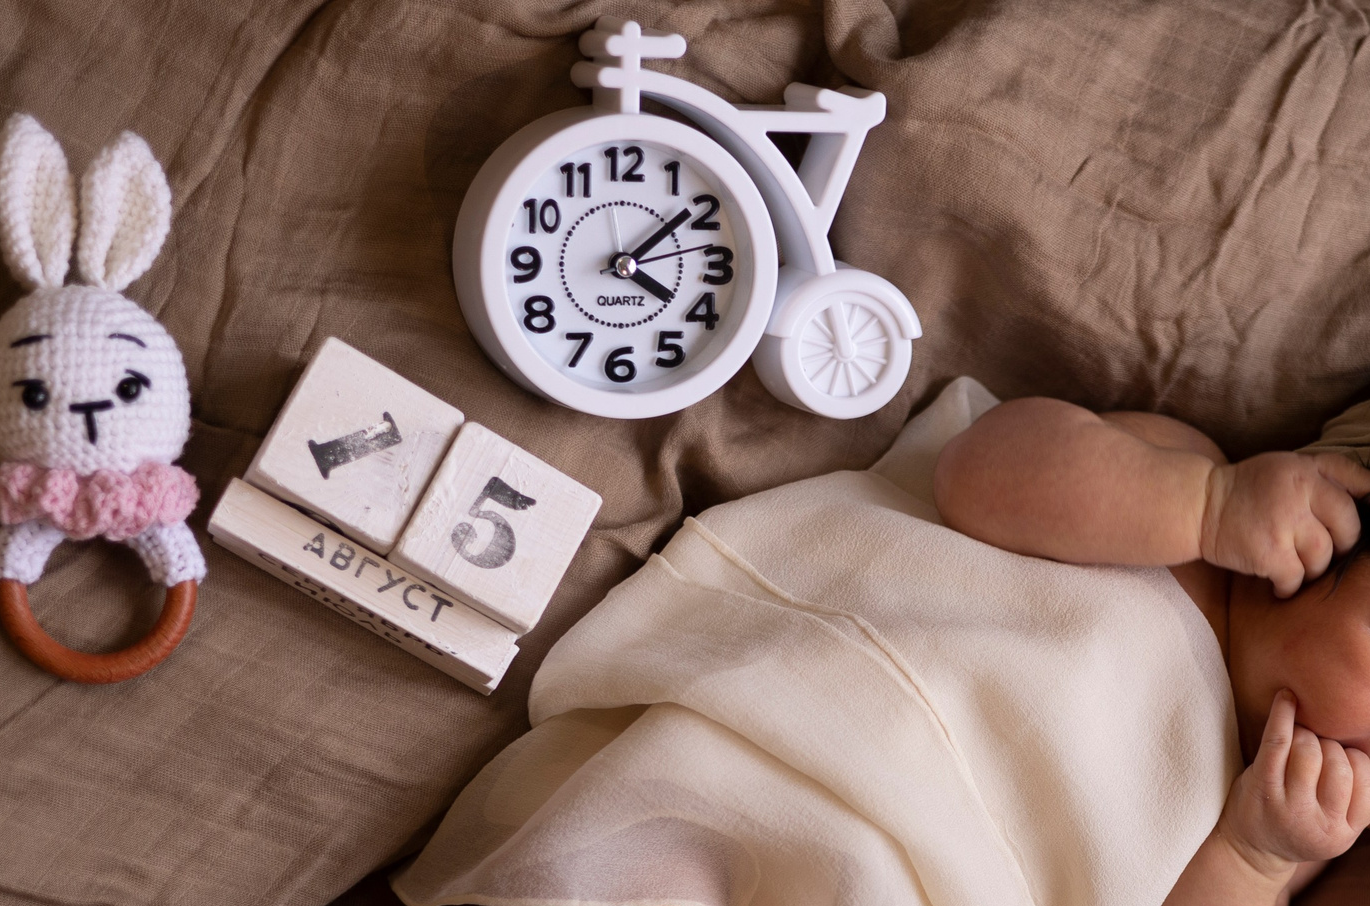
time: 4:08
